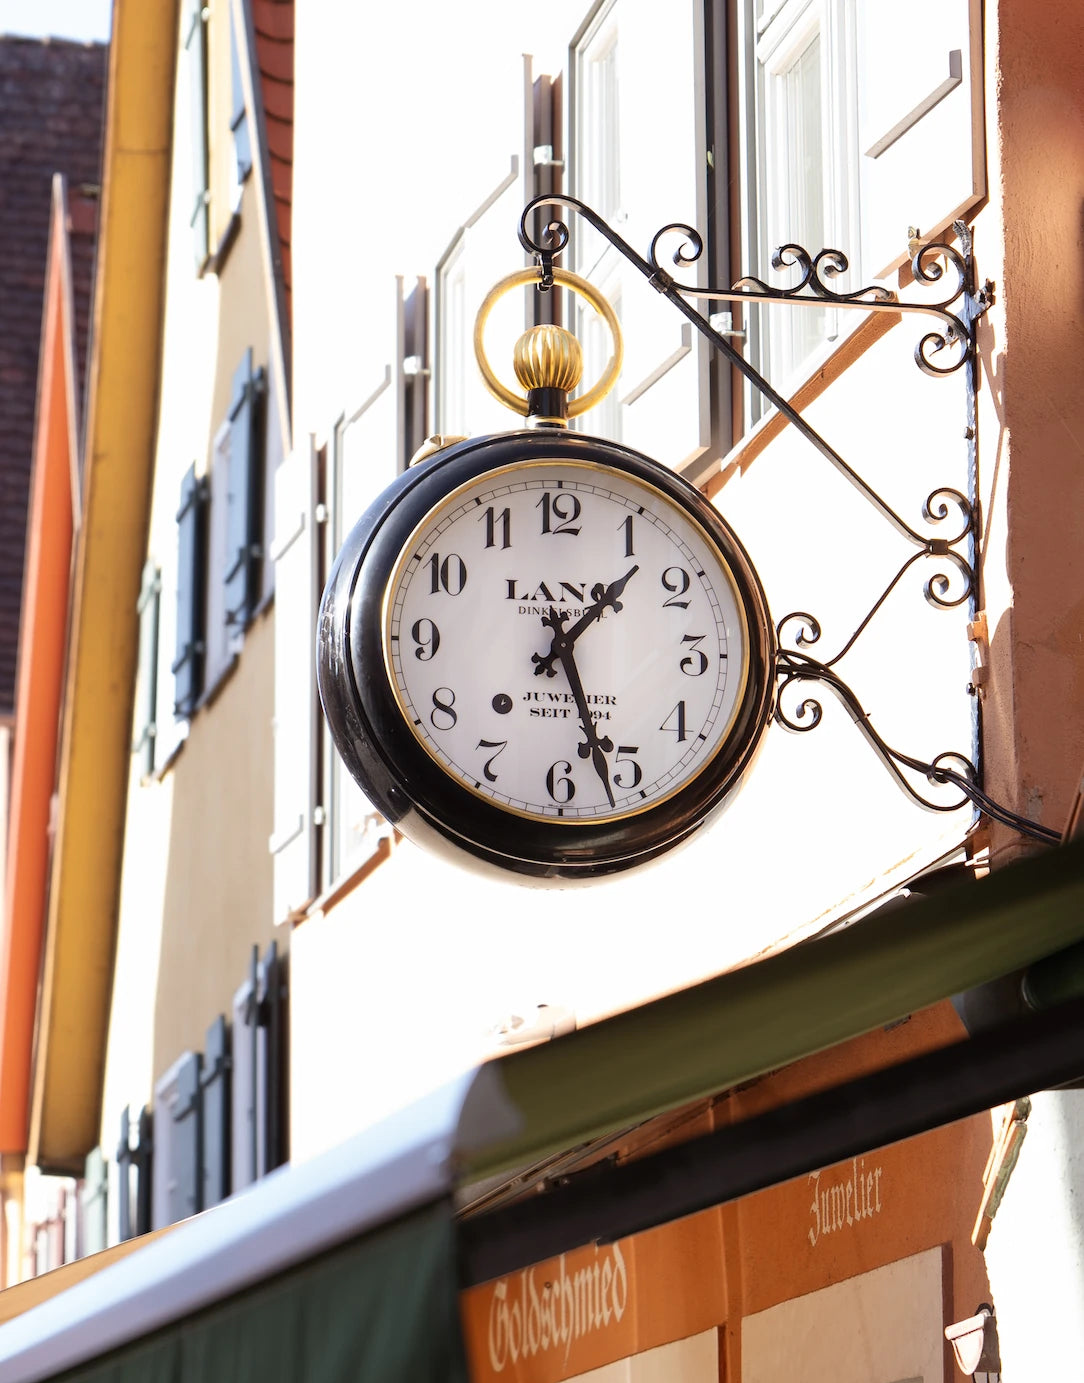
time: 1:26
